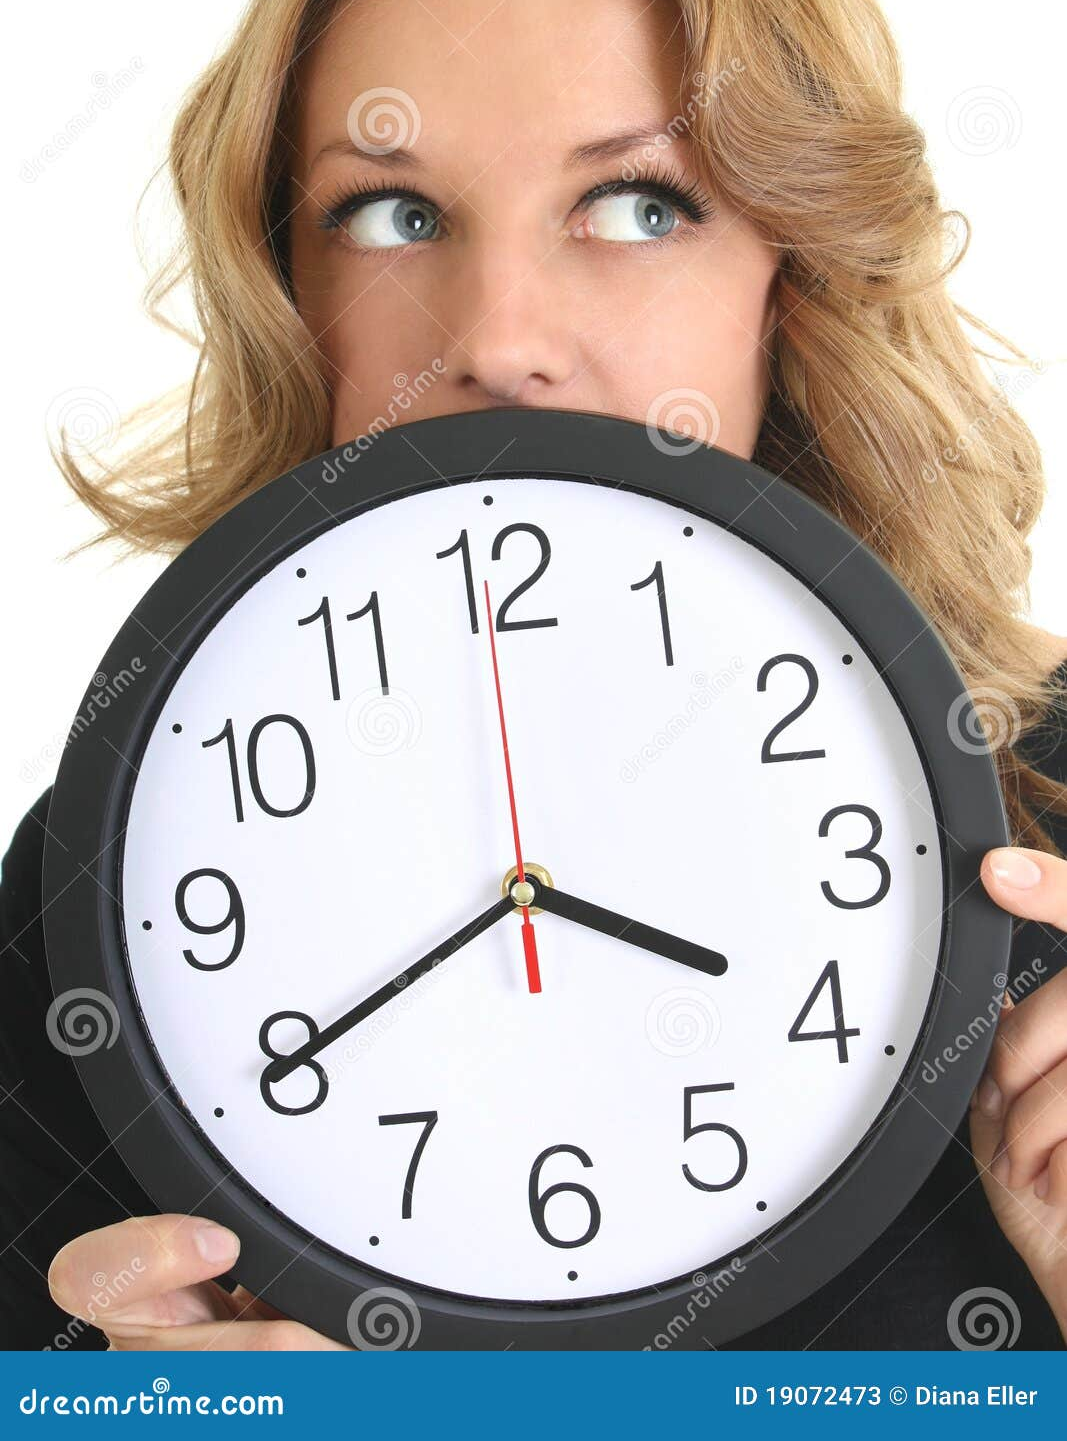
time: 3:40
